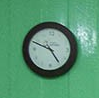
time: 4:49
